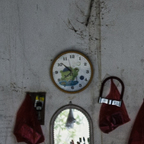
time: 7:51
